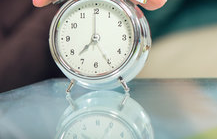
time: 7:25
